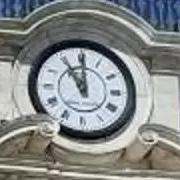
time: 11:00
